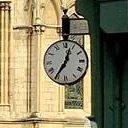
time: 12:35
